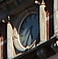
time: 5:35
